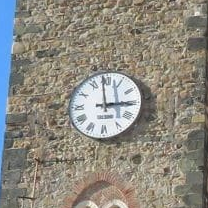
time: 2:58
